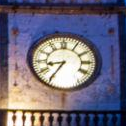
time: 8:35
